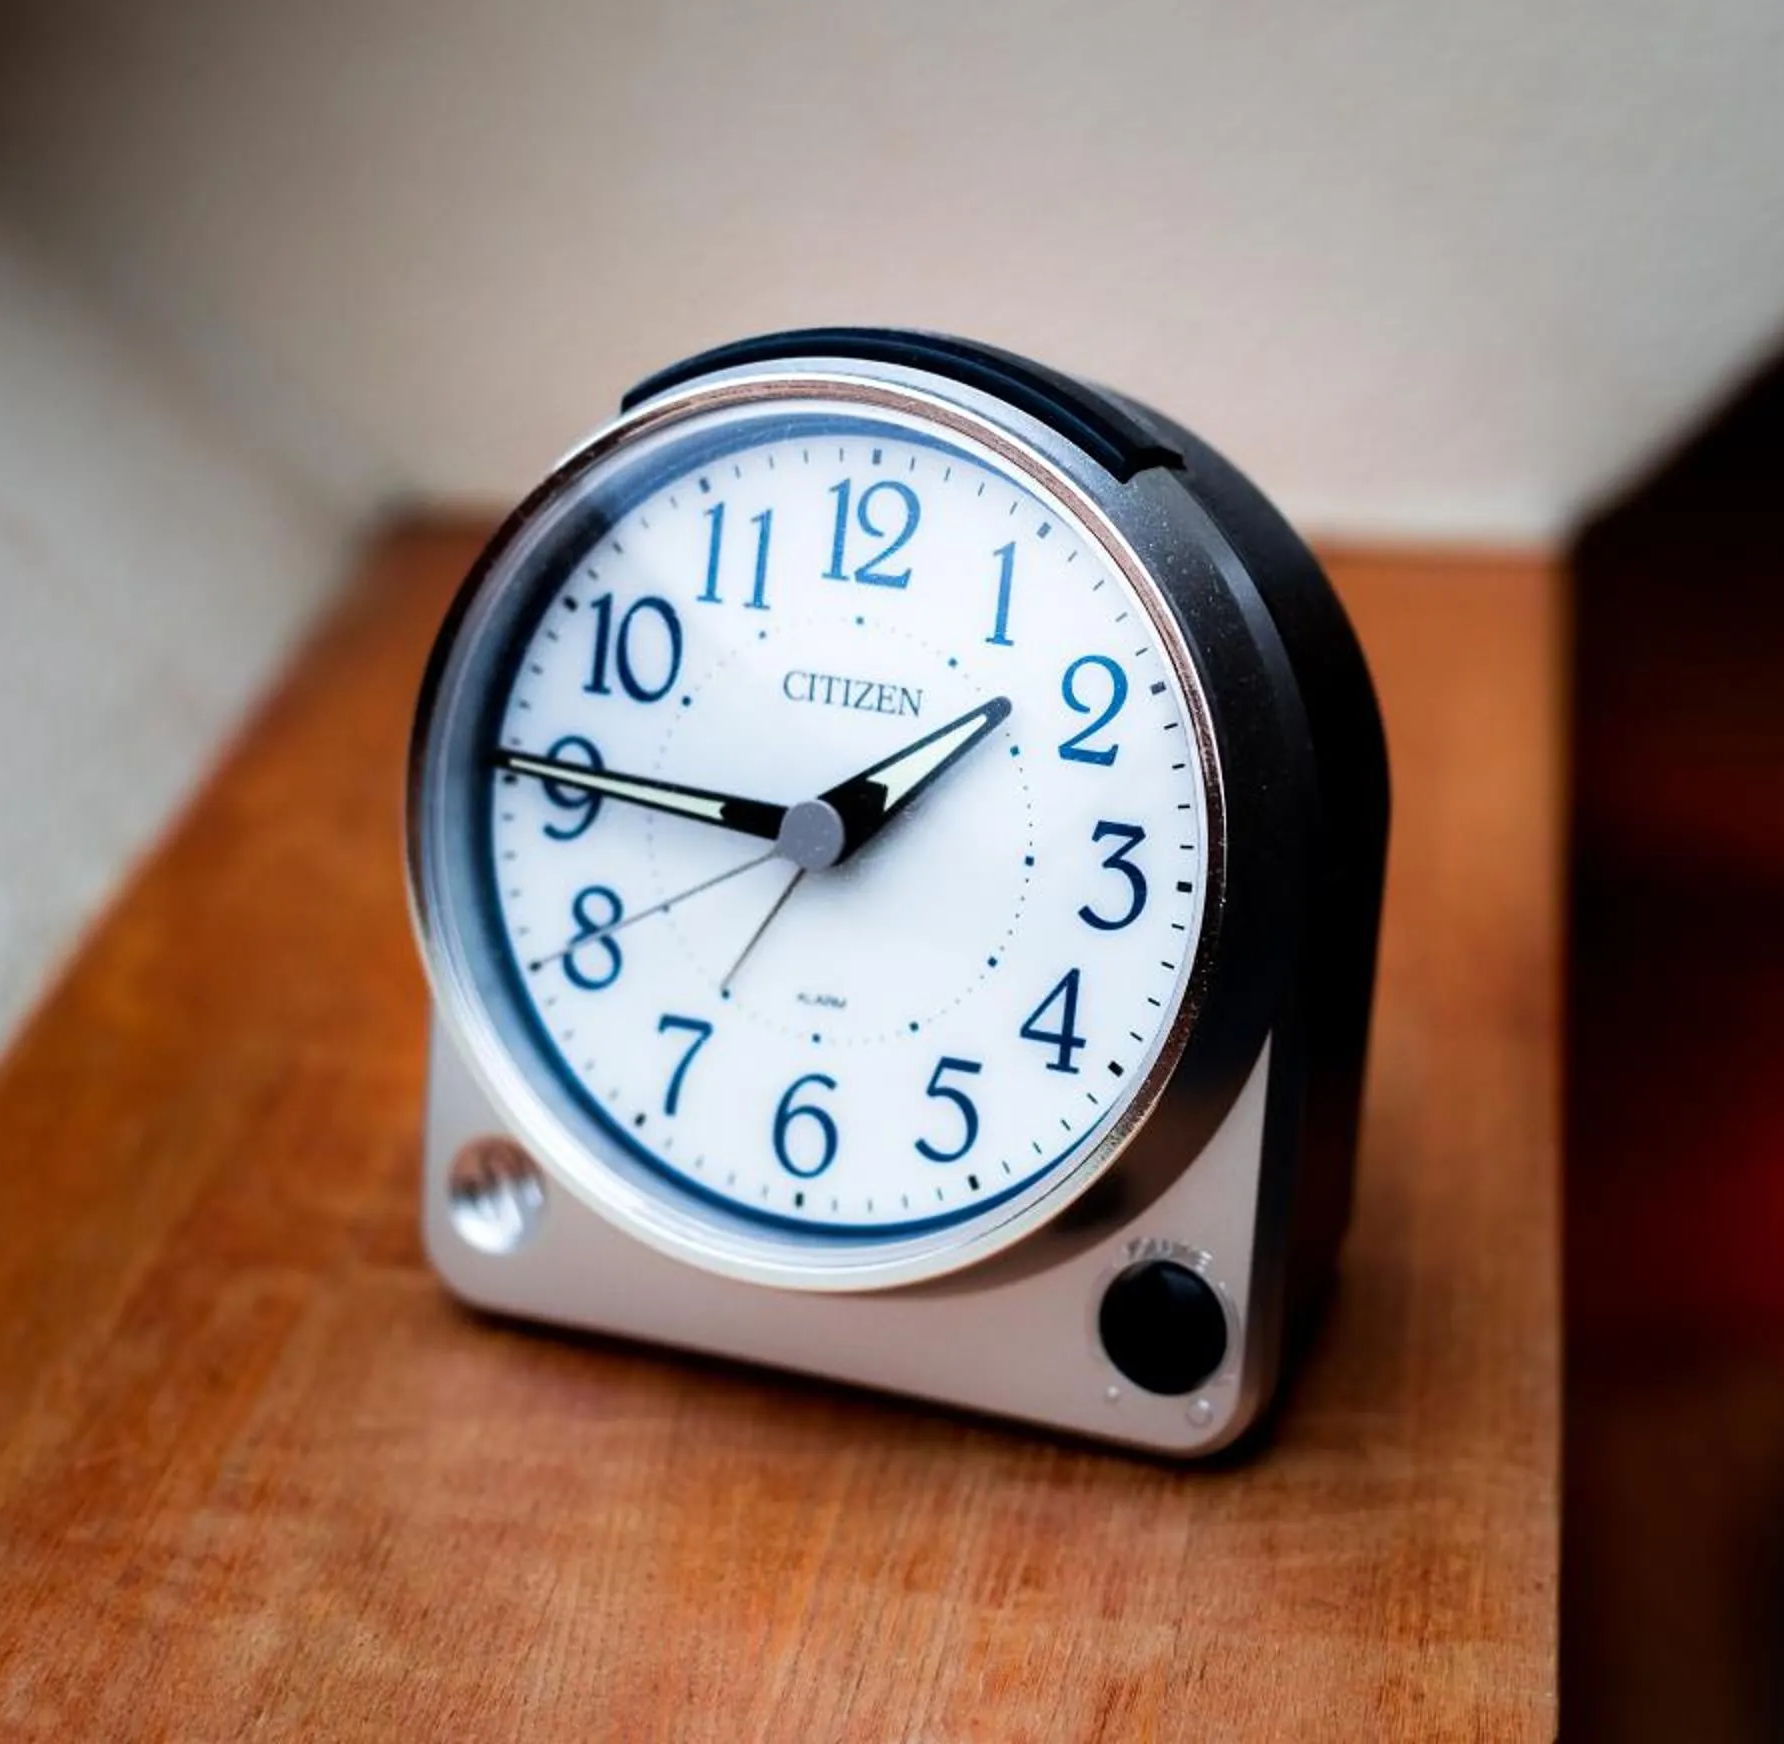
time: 1:45
